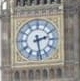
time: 2:28
